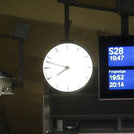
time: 7:47
